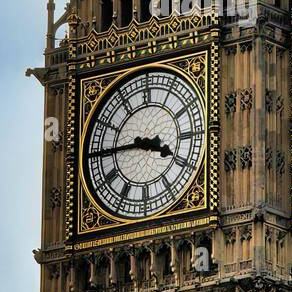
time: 3:44
